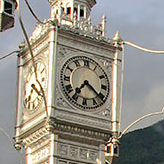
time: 7:20
